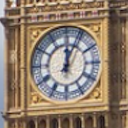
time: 12:04
